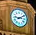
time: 9:10
